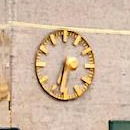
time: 3:32
